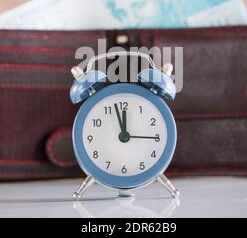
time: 11:57
